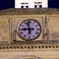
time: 8:57
